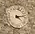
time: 4:12
